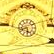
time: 5:42
